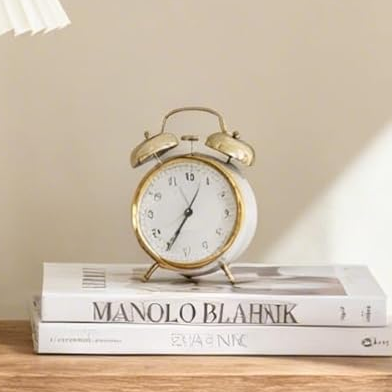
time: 12:34
